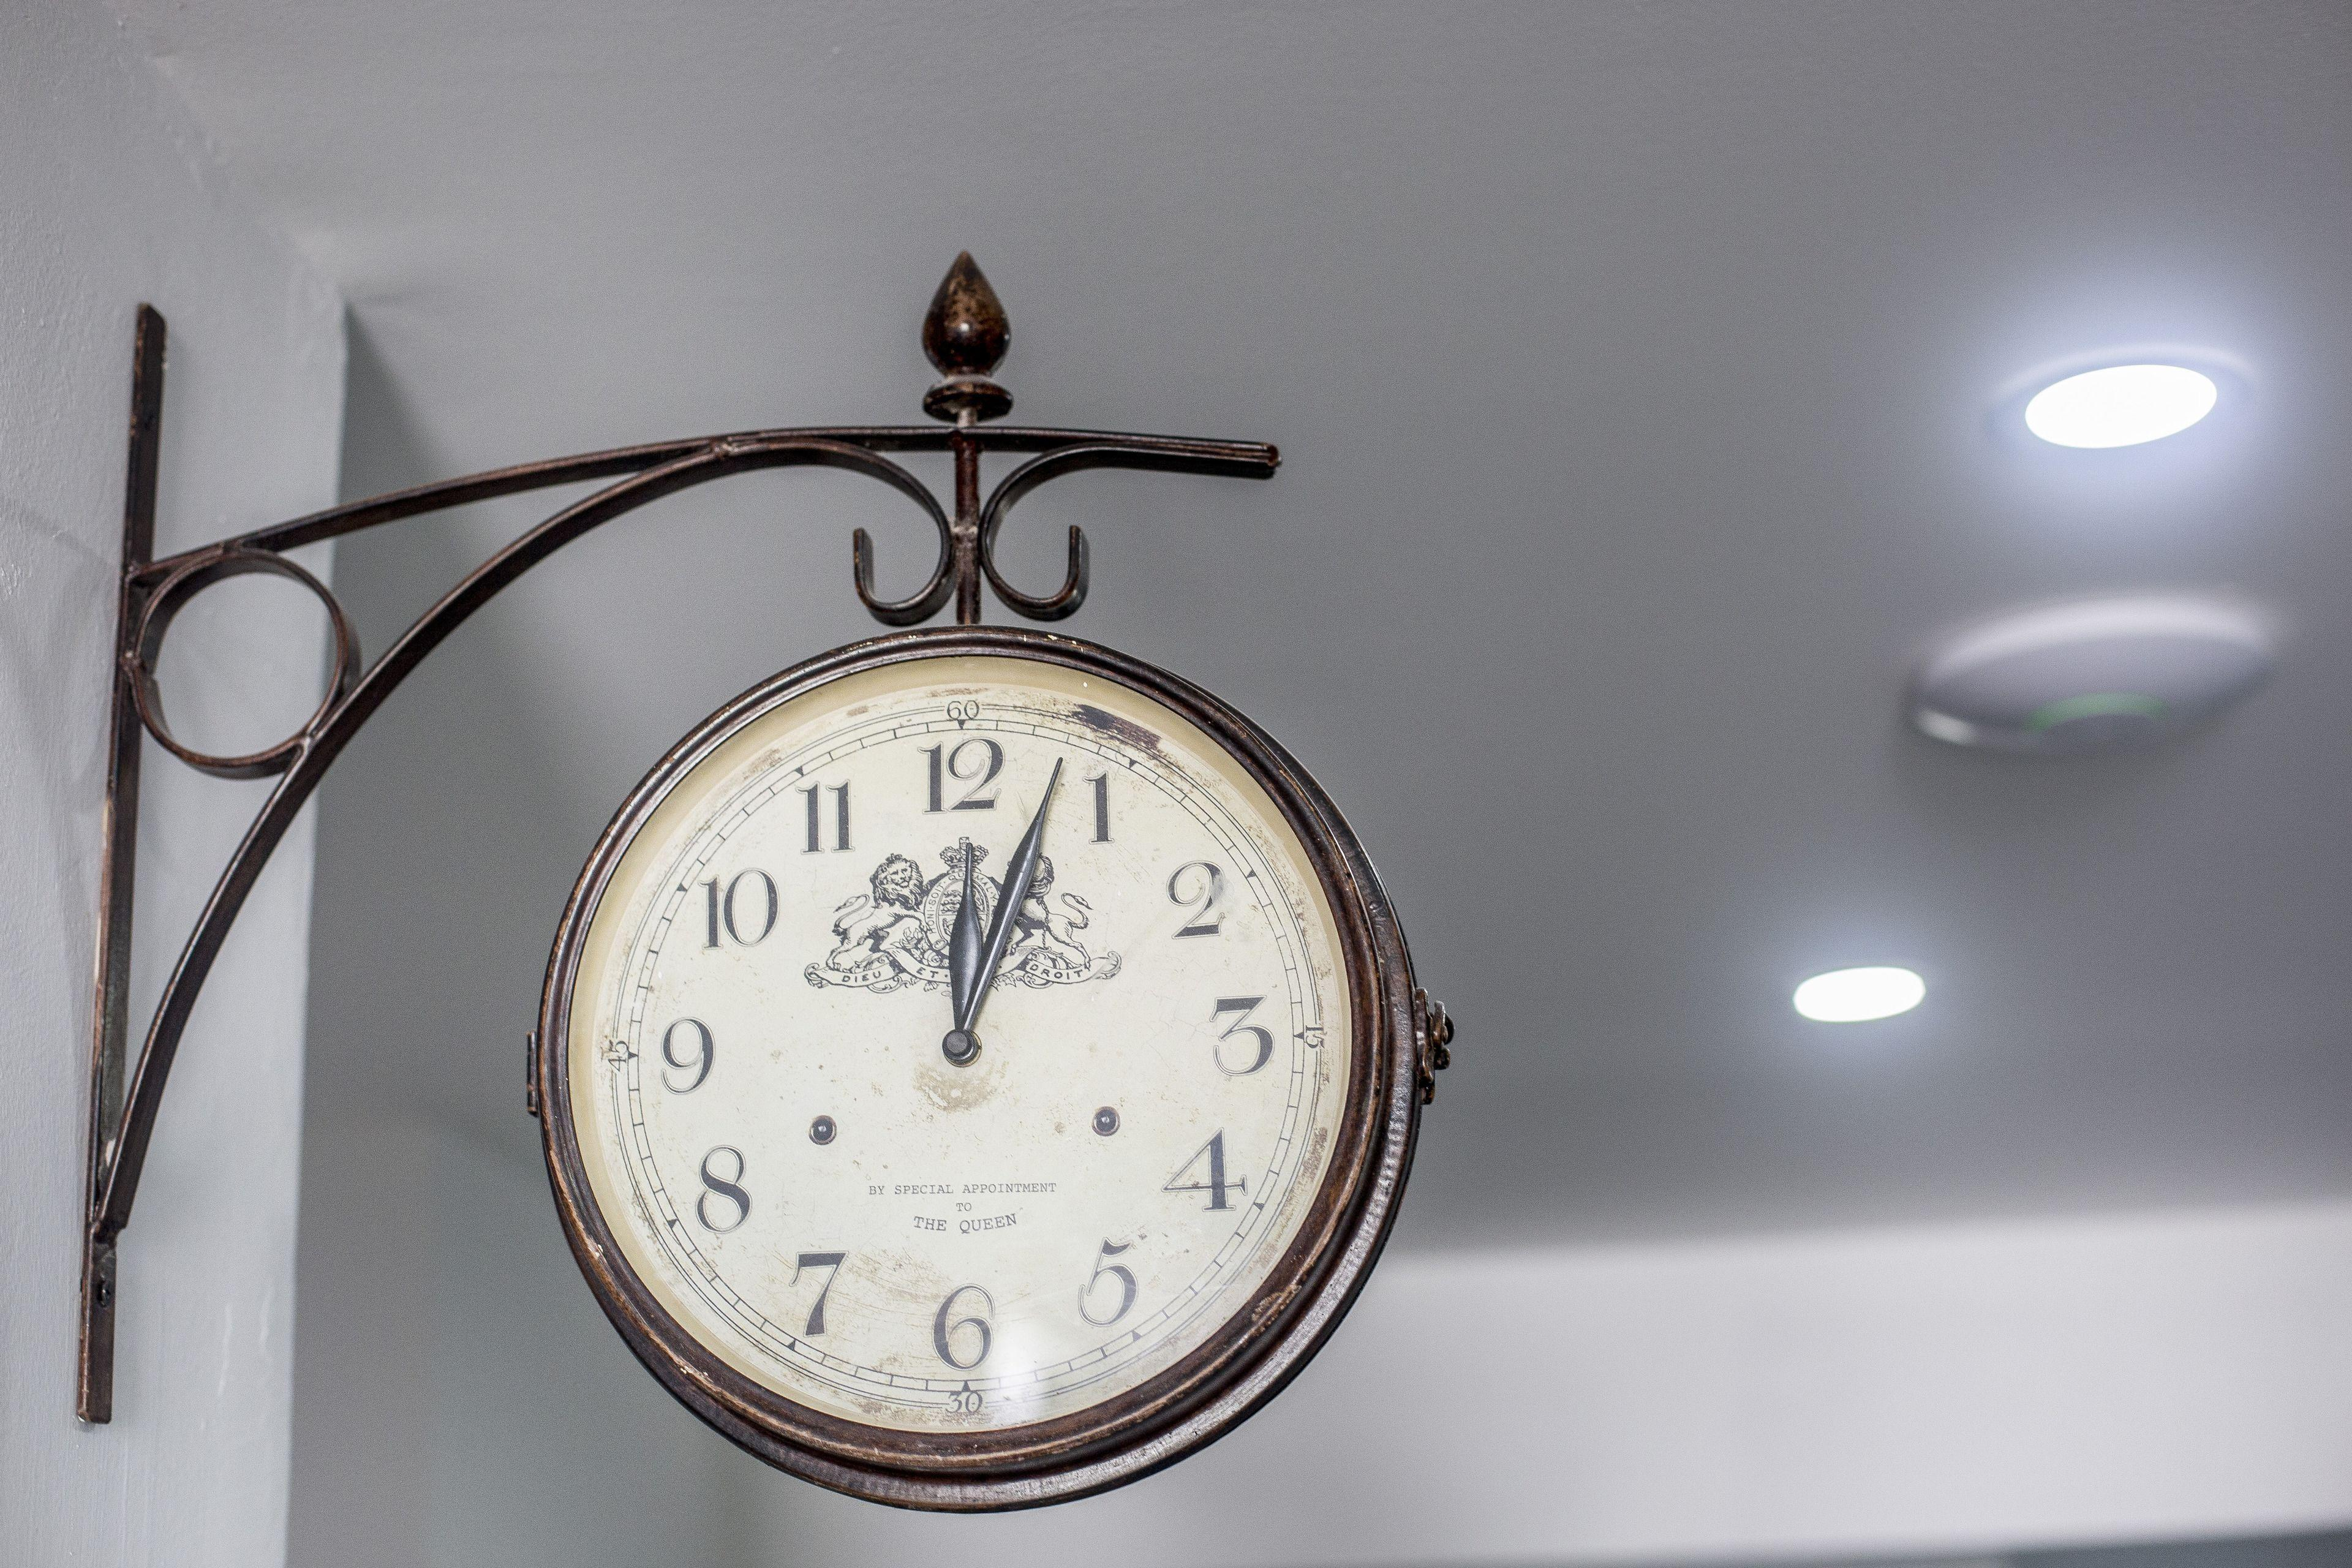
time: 12:03
